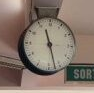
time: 11:27
